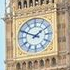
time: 1:49
